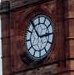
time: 2:54
